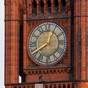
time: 8:04
